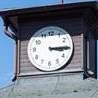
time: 3:14
